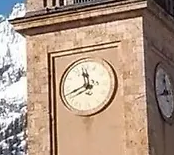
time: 11:41
